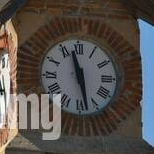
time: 11:28
